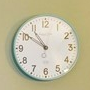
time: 10:50
